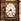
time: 8:25
